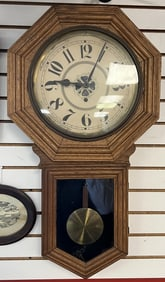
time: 9:04
